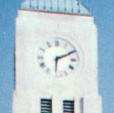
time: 6:10
